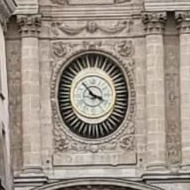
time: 3:52
